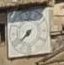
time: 7:38
